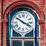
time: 3:50
